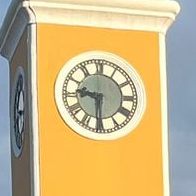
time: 9:30
